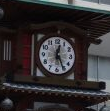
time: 12:25
